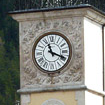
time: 11:18
